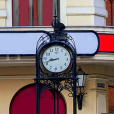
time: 8:42
